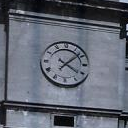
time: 4:08
